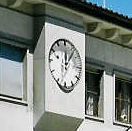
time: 12:06
